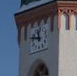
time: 11:46
